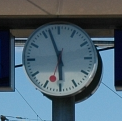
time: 5:56
